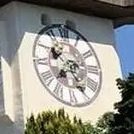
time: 7:24
